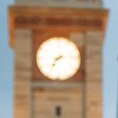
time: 7:13
